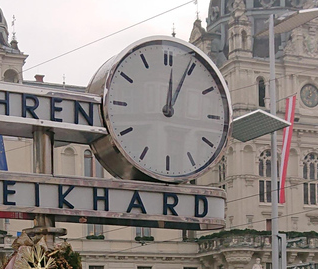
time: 12:04
